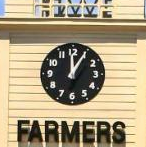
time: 12:59
